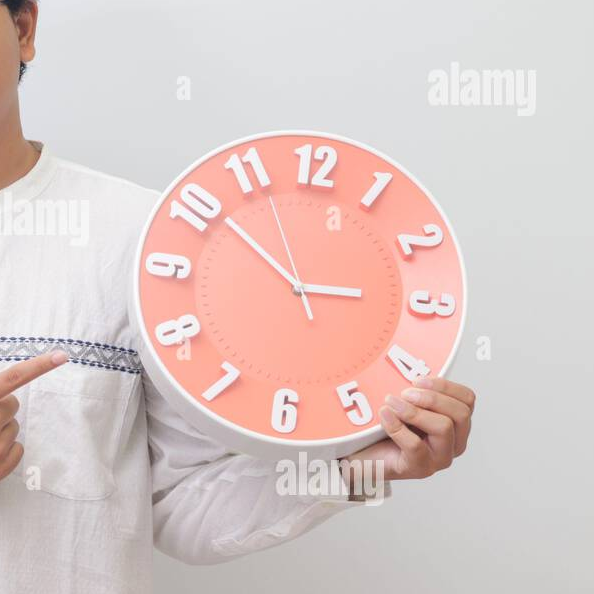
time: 2:51
